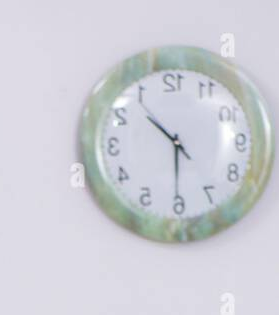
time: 10:30
